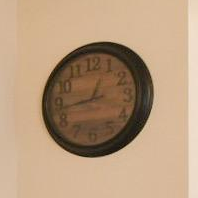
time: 12:43
